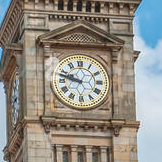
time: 9:47
